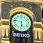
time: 5:47
